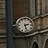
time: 2:27
